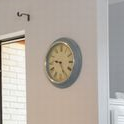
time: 9:25
